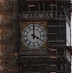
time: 4:00
